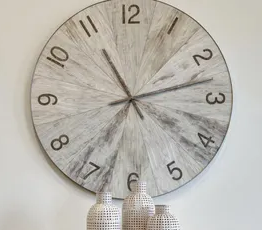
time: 11:12
